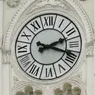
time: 2:18
